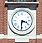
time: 3:30
